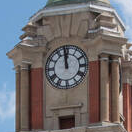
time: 11:58
